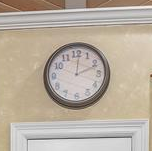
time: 12:11
